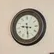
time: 9:29
